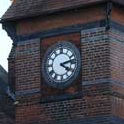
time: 4:12
